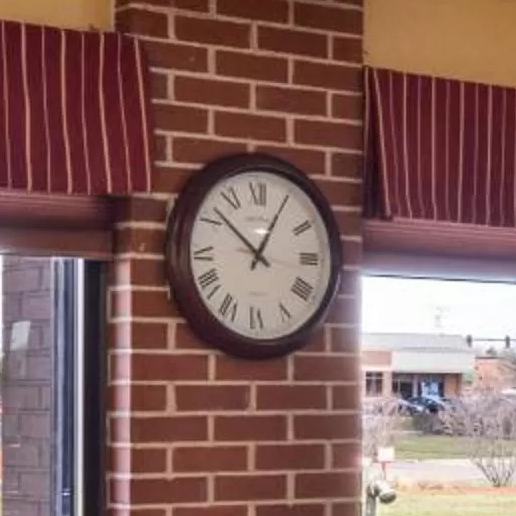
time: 12:52
